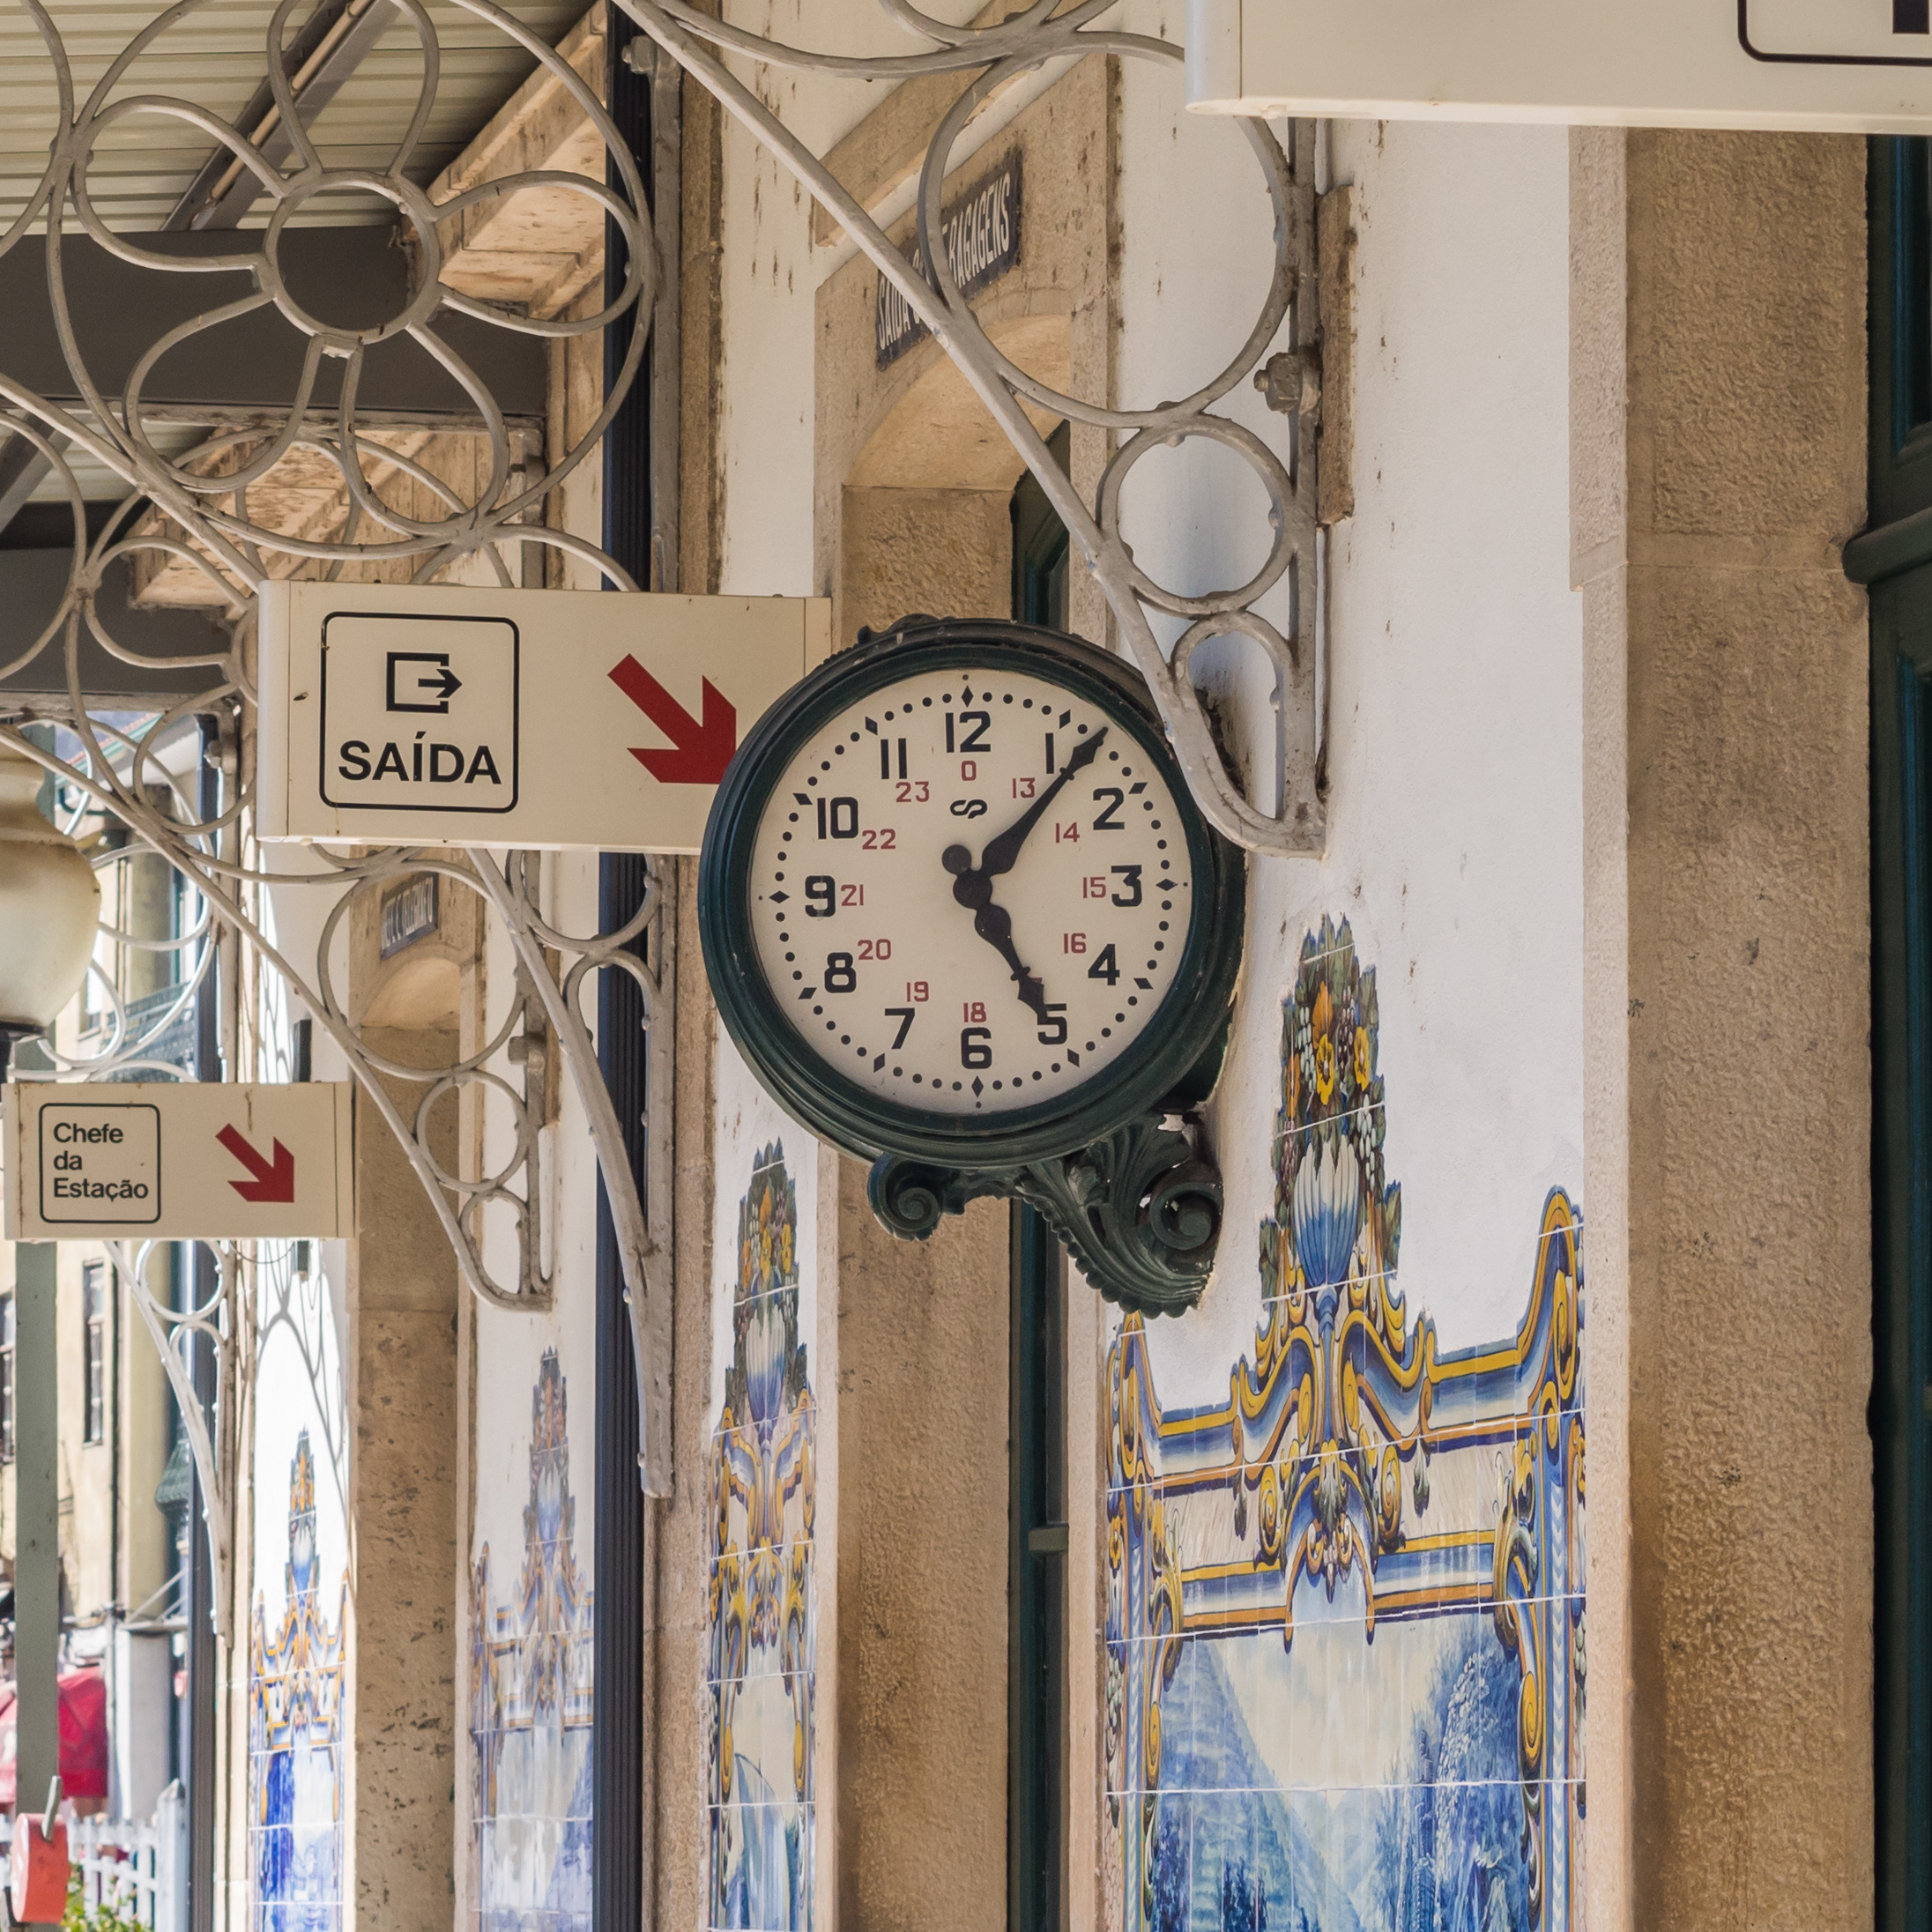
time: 5:06
